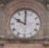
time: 10:00
